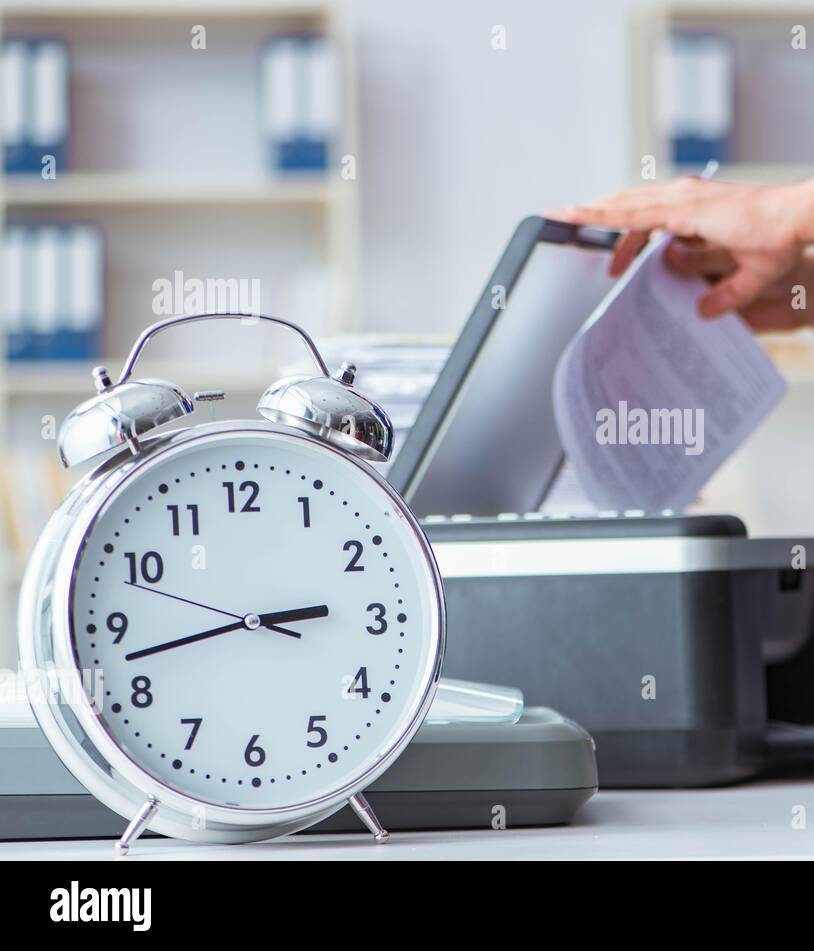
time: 2:42
